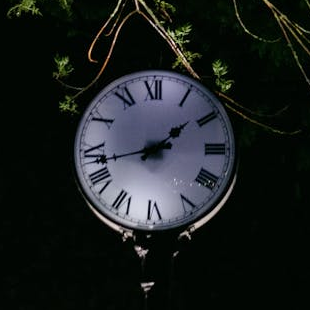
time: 1:42
